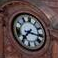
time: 7:16
